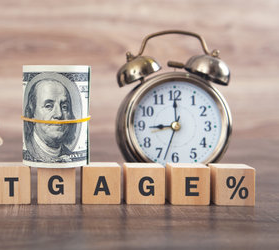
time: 9:00
